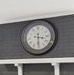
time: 3:30
